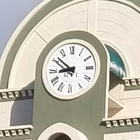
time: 8:51
